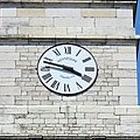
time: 3:47
